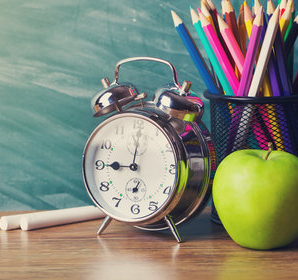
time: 9:01
